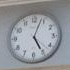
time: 5:03
